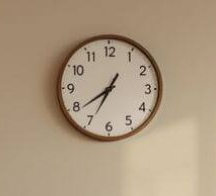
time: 7:34
